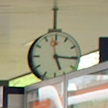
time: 5:15
